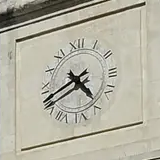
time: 4:41
